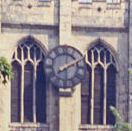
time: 2:01
